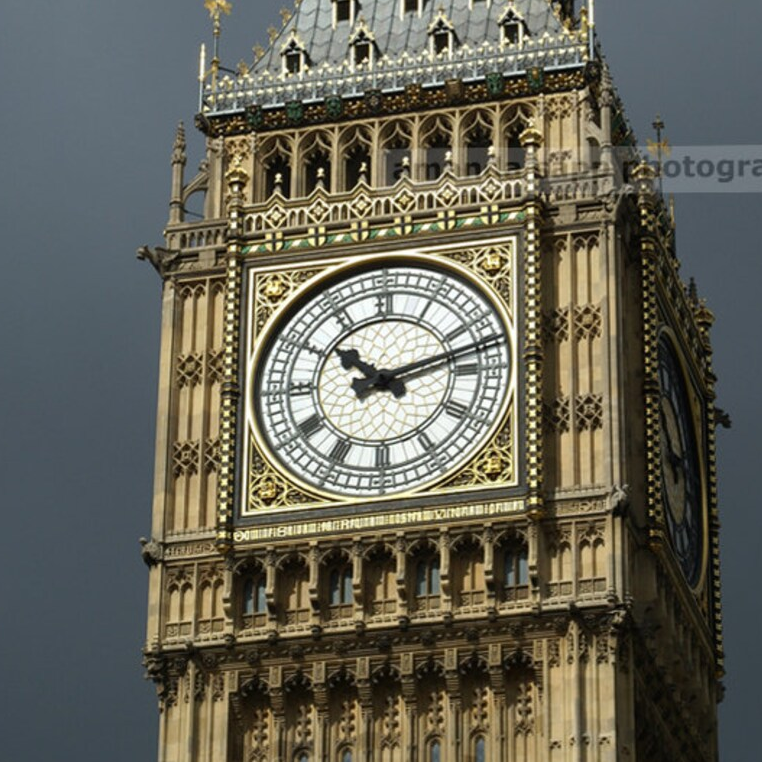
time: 10:12
